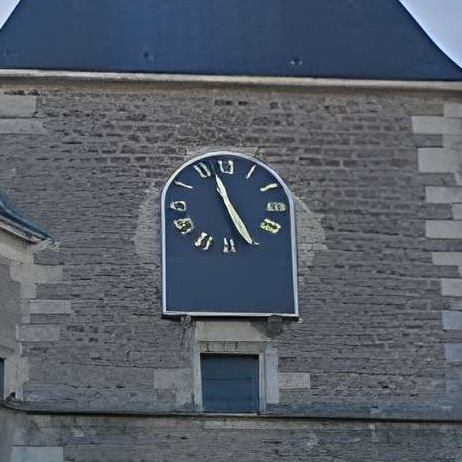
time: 11:25
